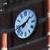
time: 1:42
